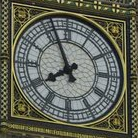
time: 7:56
